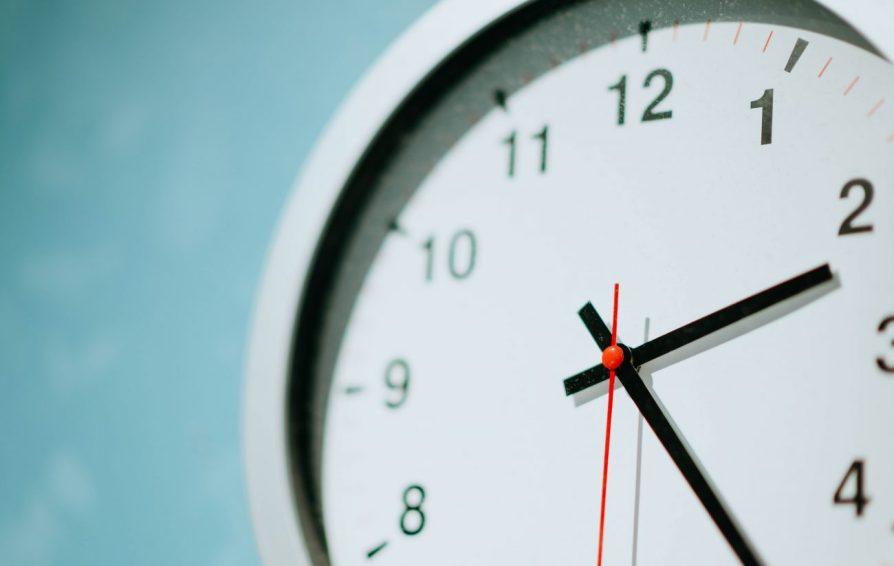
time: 2:23
